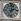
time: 2:01
